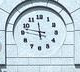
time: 11:47
